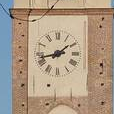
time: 1:43
